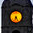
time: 6:24
